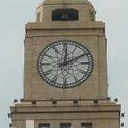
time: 12:09
